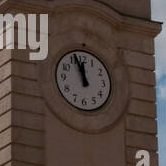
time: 11:56
